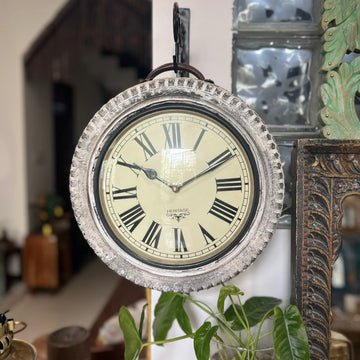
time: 10:10
